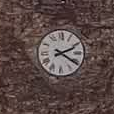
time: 2:20
